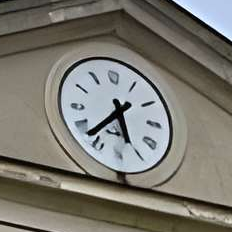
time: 5:37
